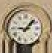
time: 9:07
